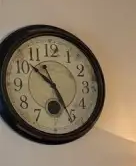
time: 10:25
